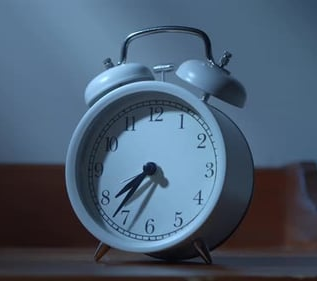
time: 7:36
